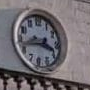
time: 3:42
